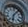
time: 6:06
